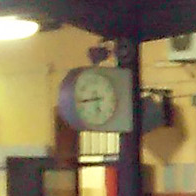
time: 5:43
